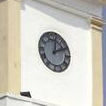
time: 2:01
